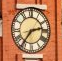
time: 2:36
